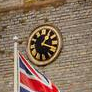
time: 1:18
